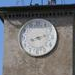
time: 8:12
